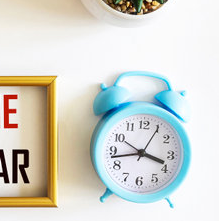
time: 3:42
